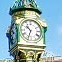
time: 10:33
